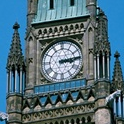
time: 3:14
